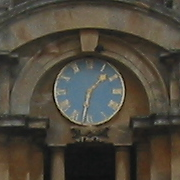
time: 1:32
